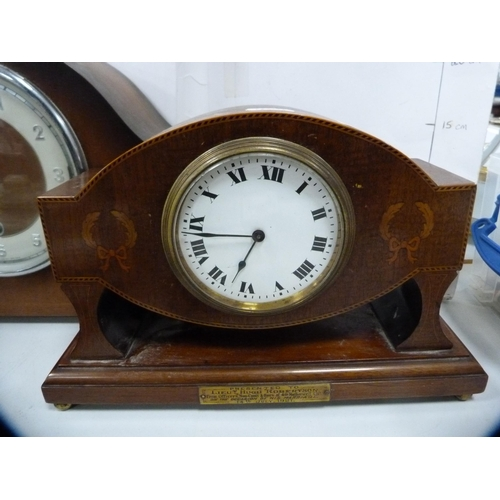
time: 6:44
